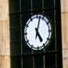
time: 5:02
